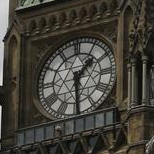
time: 1:29
